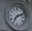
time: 7:11
